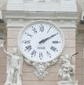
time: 2:09
